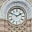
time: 1:49
